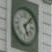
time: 5:07
